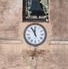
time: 11:55
